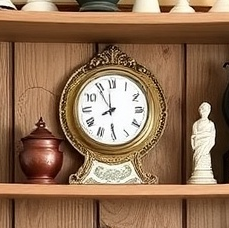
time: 7:54
